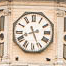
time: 8:26
